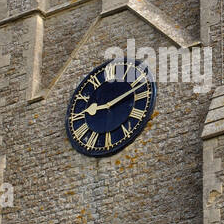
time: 9:12
